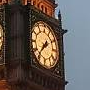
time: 1:36
